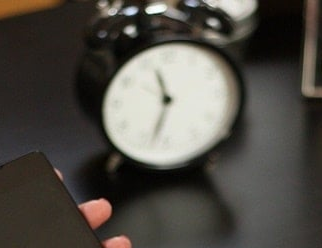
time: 11:32
